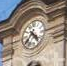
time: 4:35
